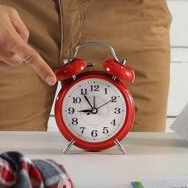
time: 8:54
